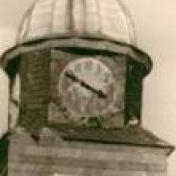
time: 3:50
